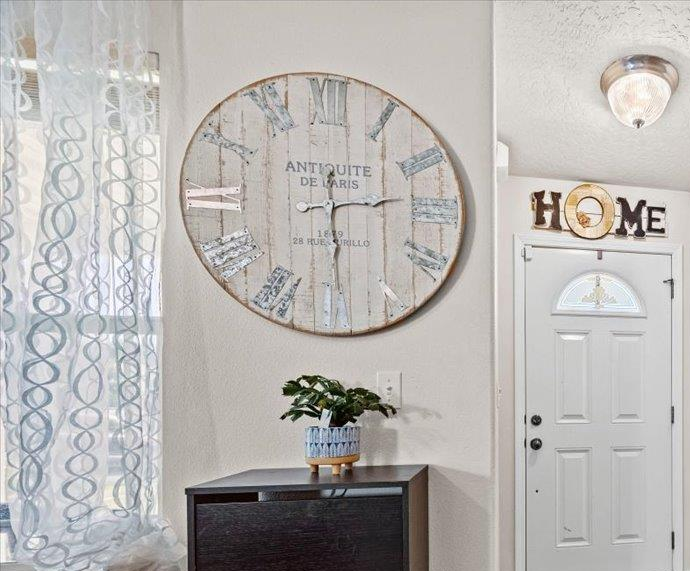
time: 2:29
